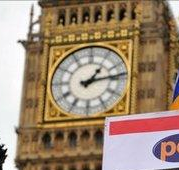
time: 1:13
